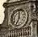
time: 7:00
